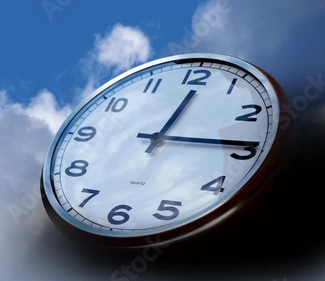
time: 12:14
